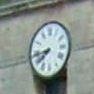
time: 7:43
